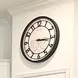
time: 3:16
